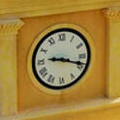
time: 9:18
